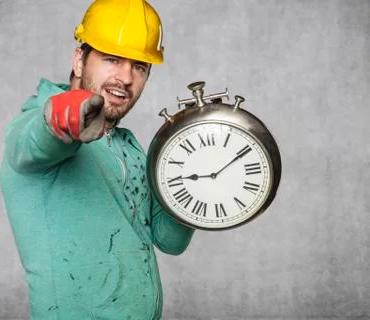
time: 9:10
